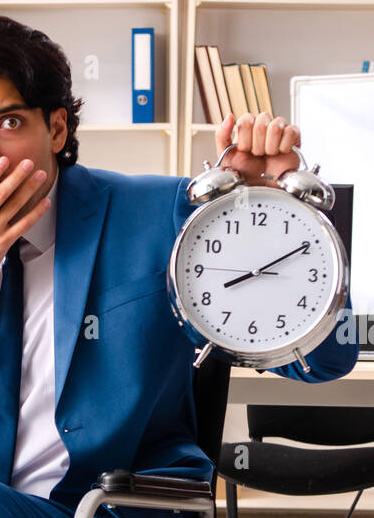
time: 8:09
